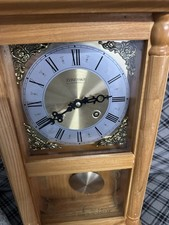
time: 2:39
